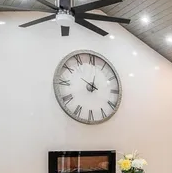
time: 10:02
